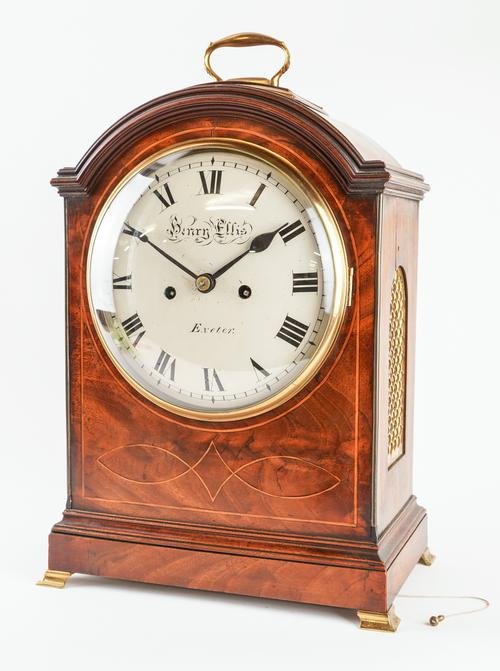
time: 1:50
